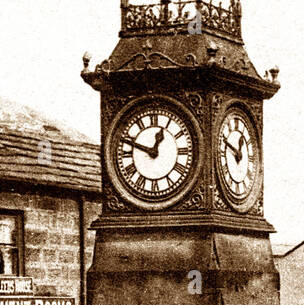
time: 12:48
